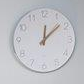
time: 12:07
